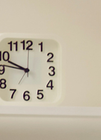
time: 9:46
